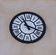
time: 11:18
